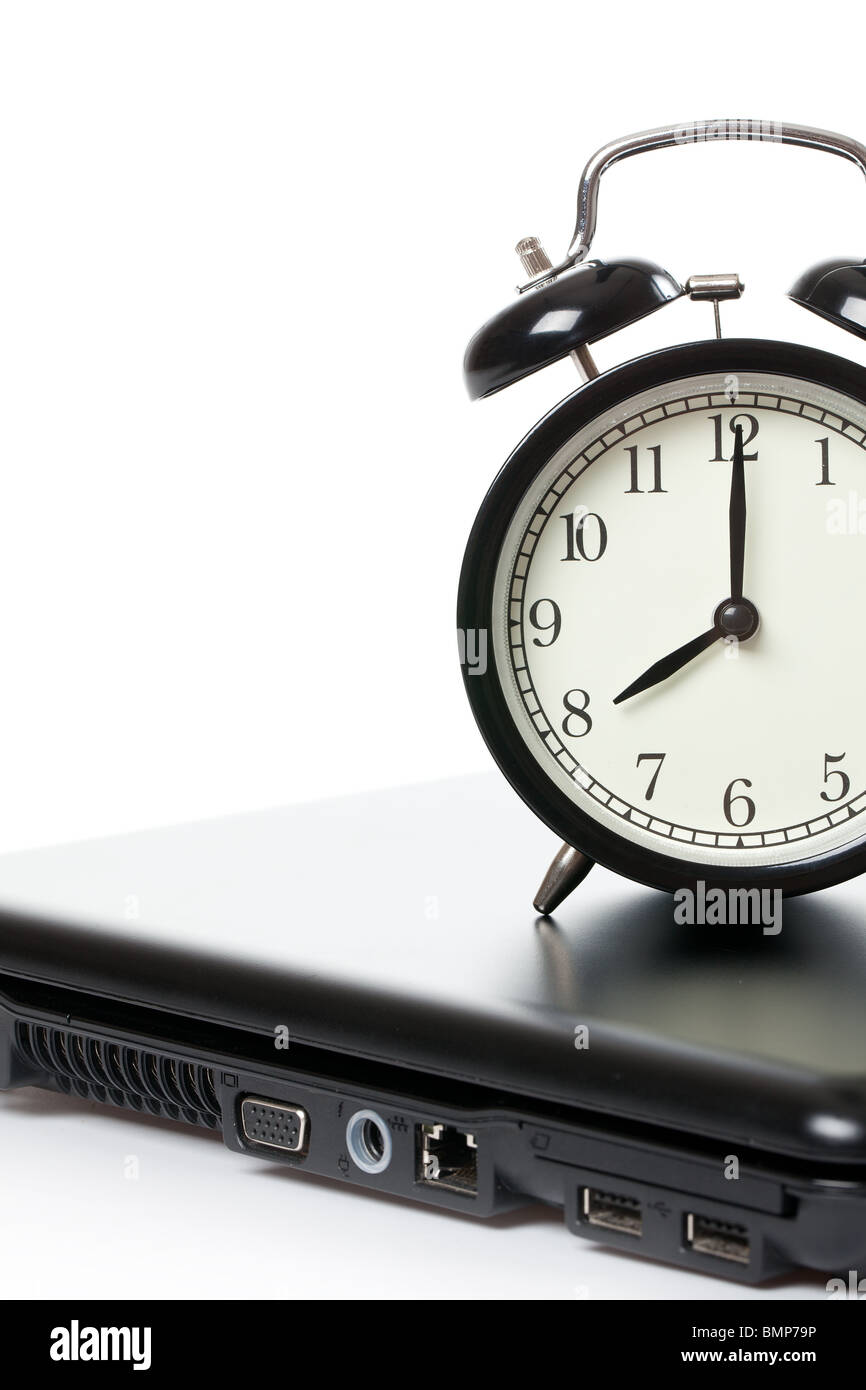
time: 8:00
